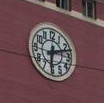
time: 6:12
